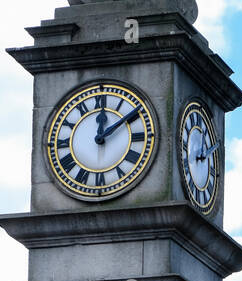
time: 12:09
